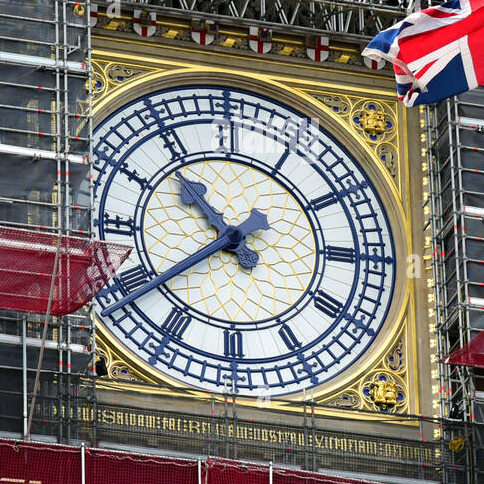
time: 10:38
